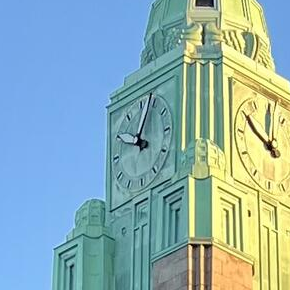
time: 10:03
